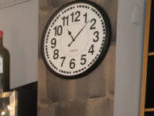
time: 11:07
